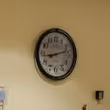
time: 8:12
